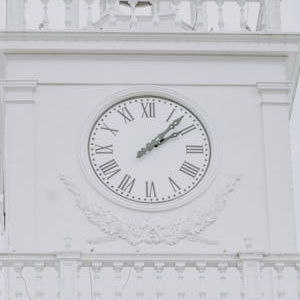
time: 2:07
